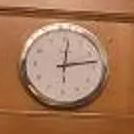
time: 12:13
